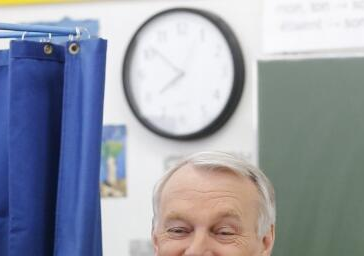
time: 7:51
